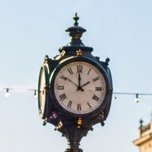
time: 1:59
